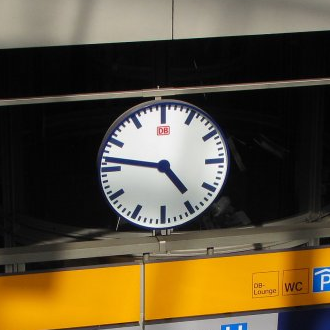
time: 4:46
